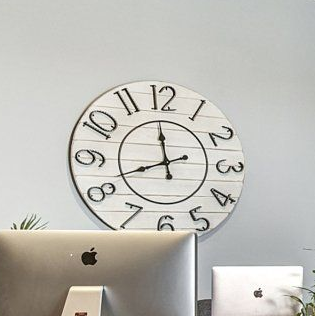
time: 11:41
